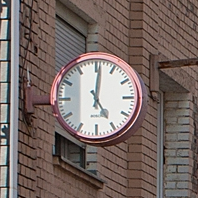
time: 5:01
